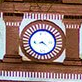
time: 8:21
